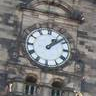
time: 1:08
